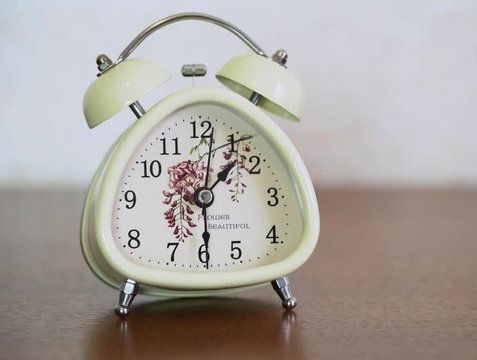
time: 1:29
